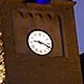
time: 9:18
